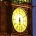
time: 6:27
